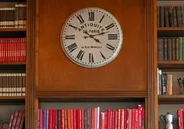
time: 4:12
